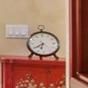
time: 6:39
